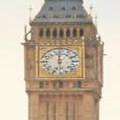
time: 5:59
